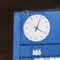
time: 4:03
